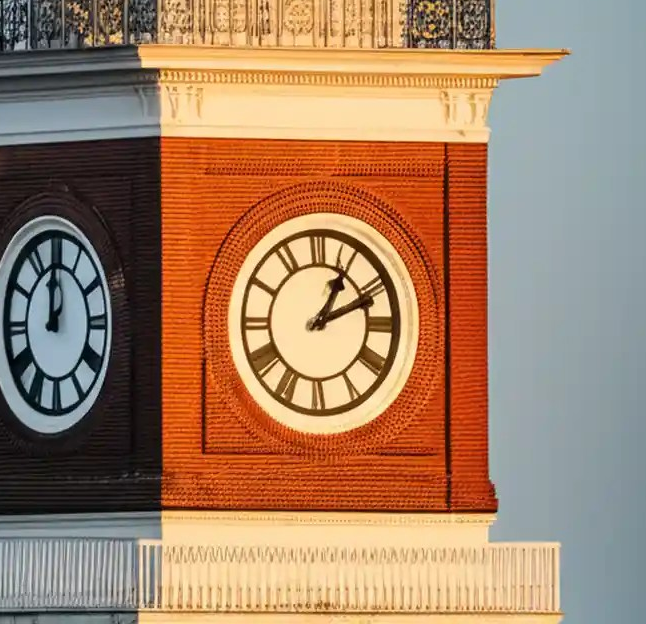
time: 1:11
